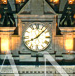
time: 8:07
